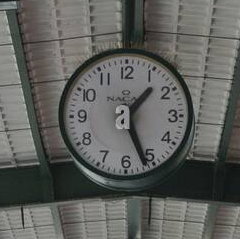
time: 1:26
